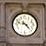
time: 9:23
